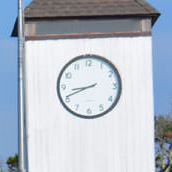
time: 8:41
